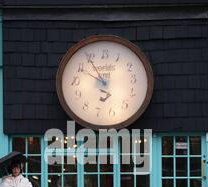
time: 9:54
